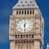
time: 12:28
